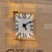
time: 5:08
